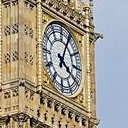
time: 4:03
